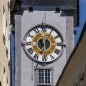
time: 6:29
